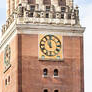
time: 11:00
